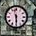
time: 11:29
